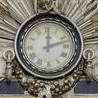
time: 12:12
